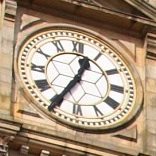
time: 12:35
